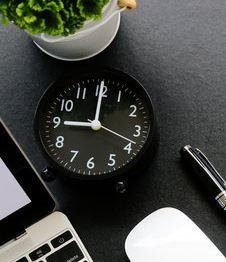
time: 9:00
